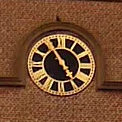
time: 4:54
